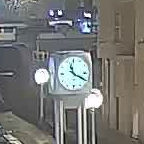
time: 11:19
